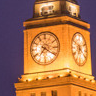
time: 7:20
